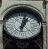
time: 1:02
